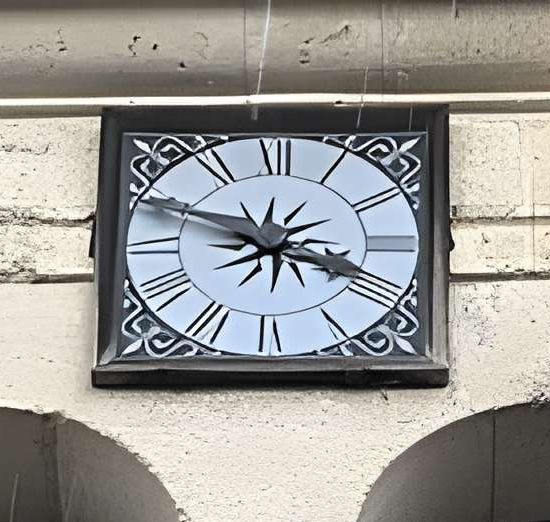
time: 3:48
